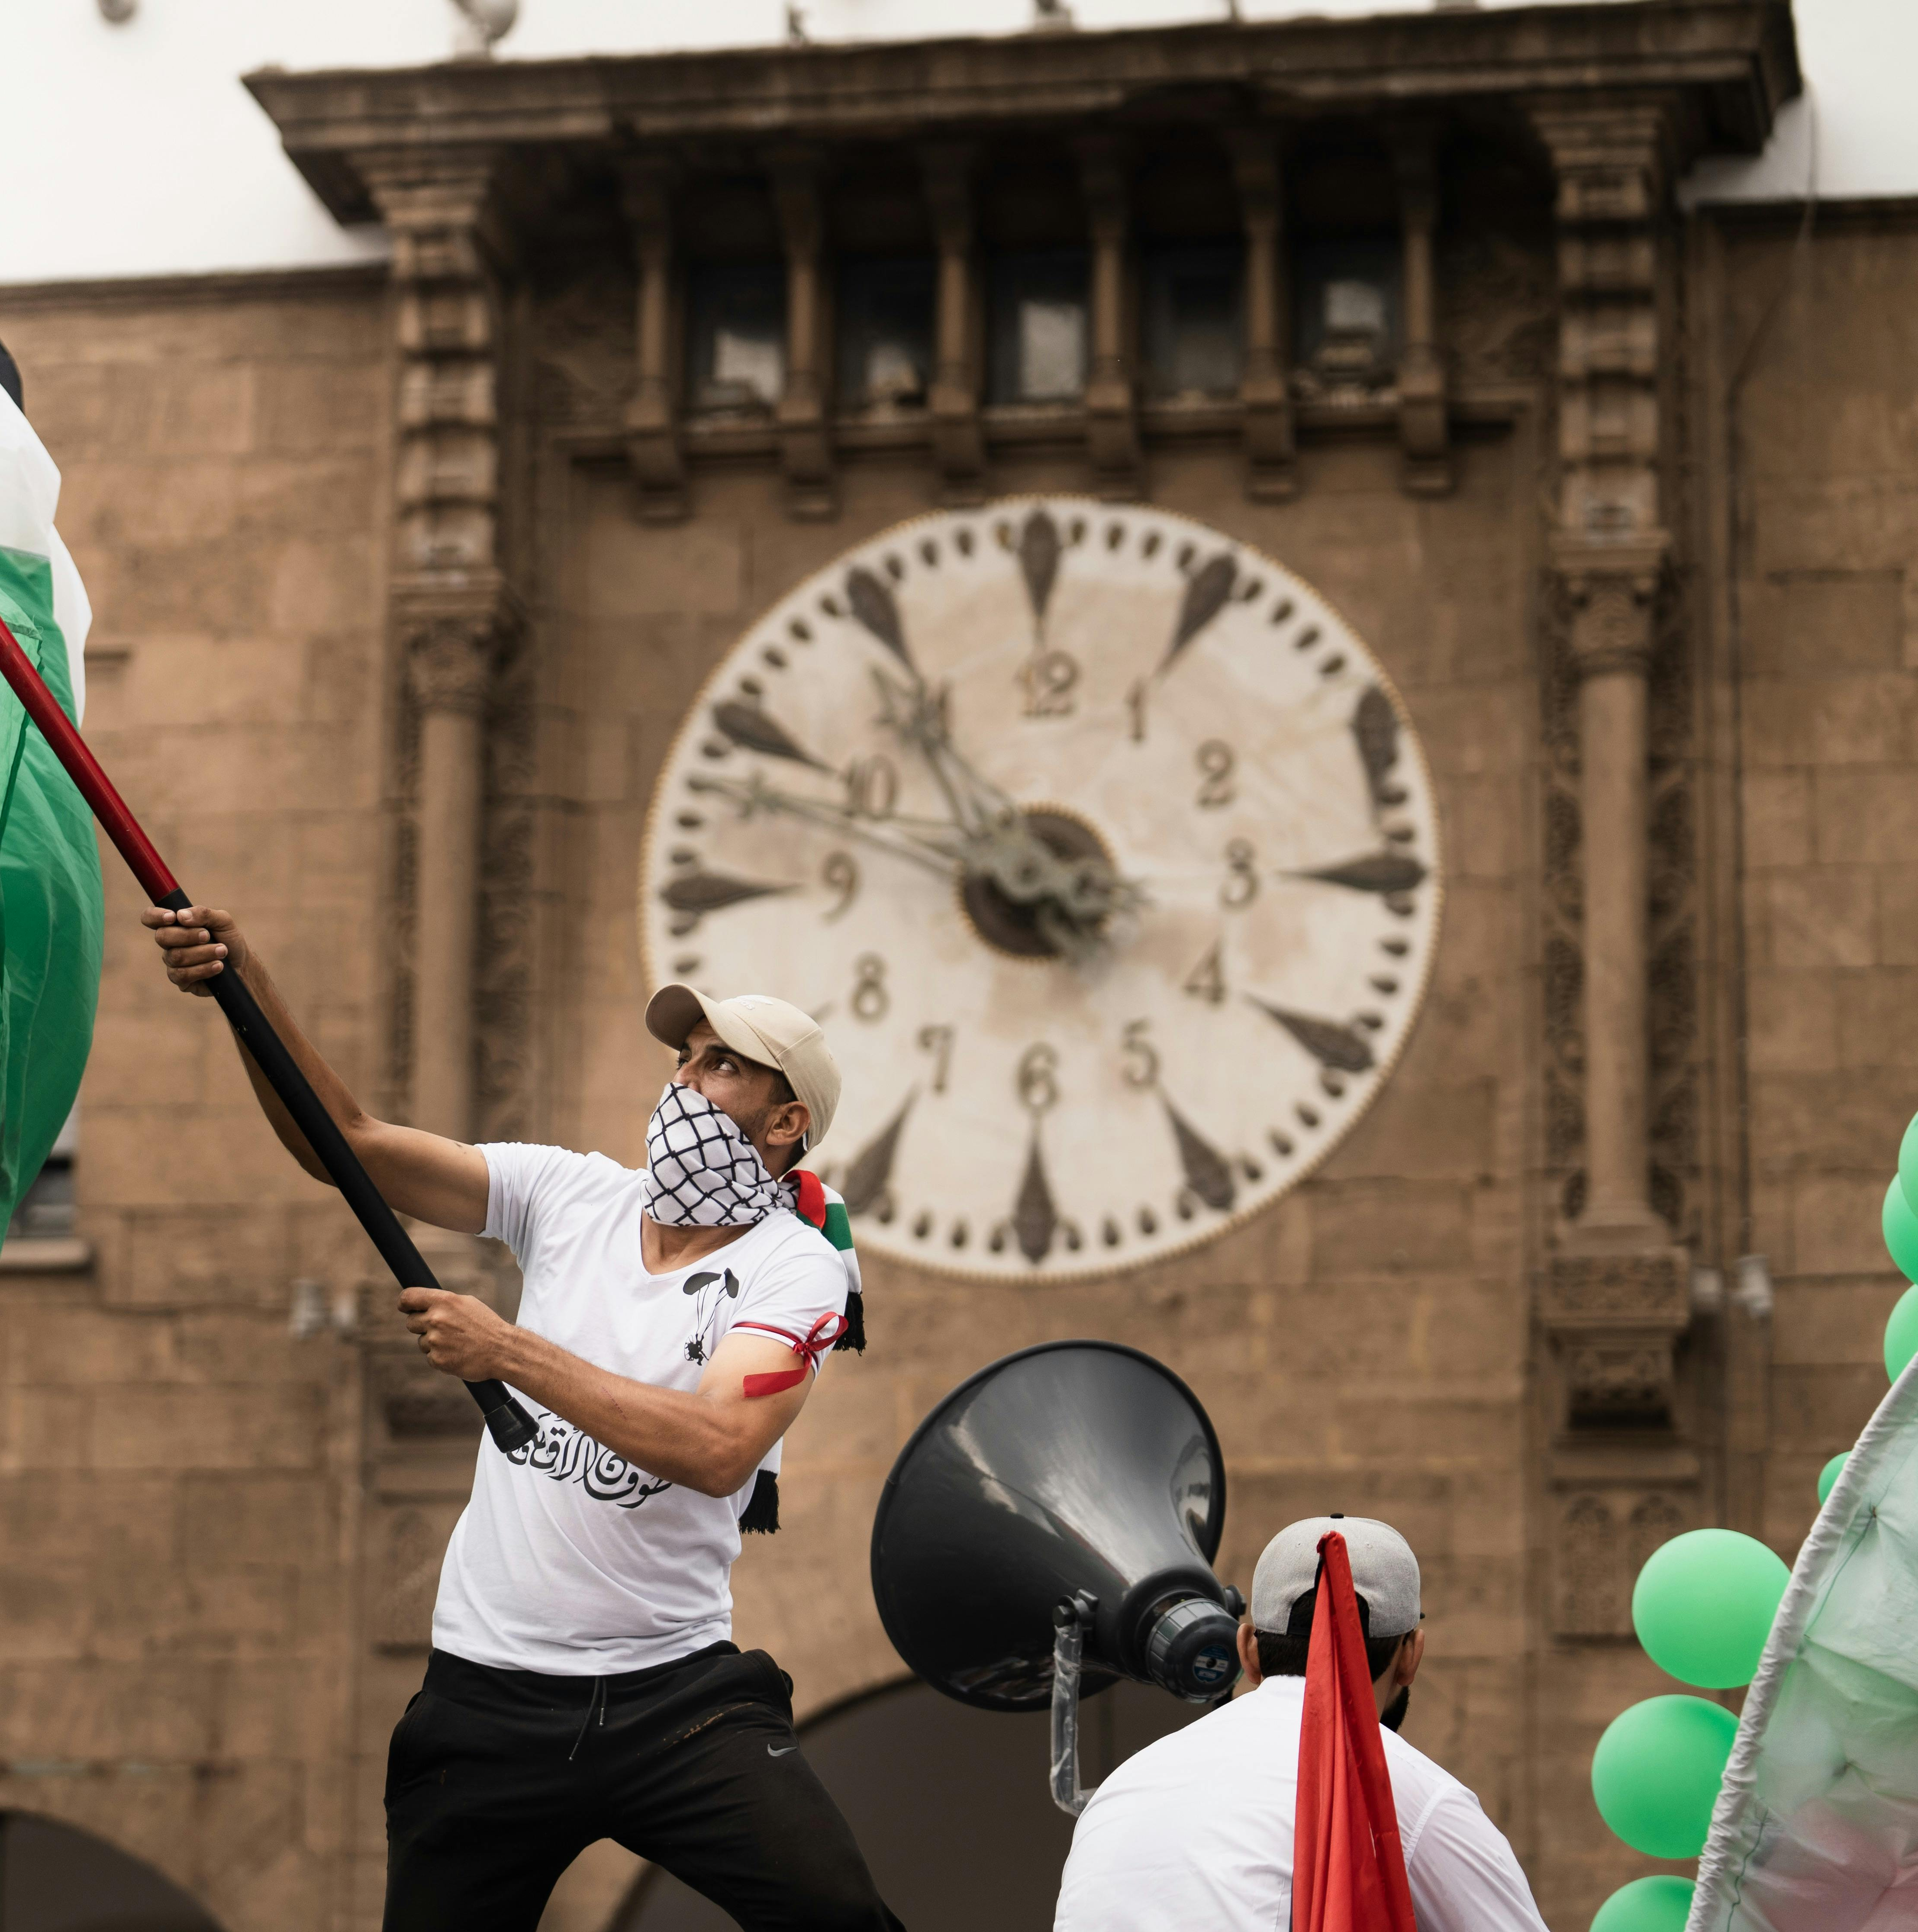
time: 10:48
